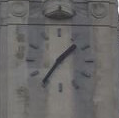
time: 1:36
